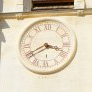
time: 3:40
